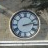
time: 2:12
